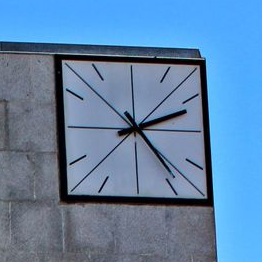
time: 2:23
